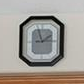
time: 1:56
